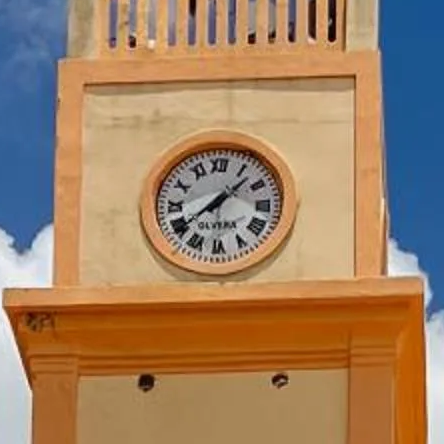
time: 1:38
